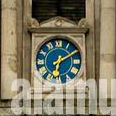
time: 6:10
